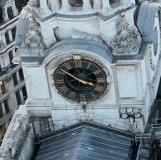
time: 3:50
